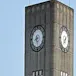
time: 8:27
